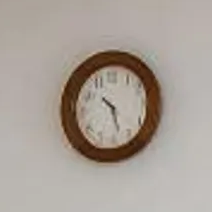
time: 10:27
